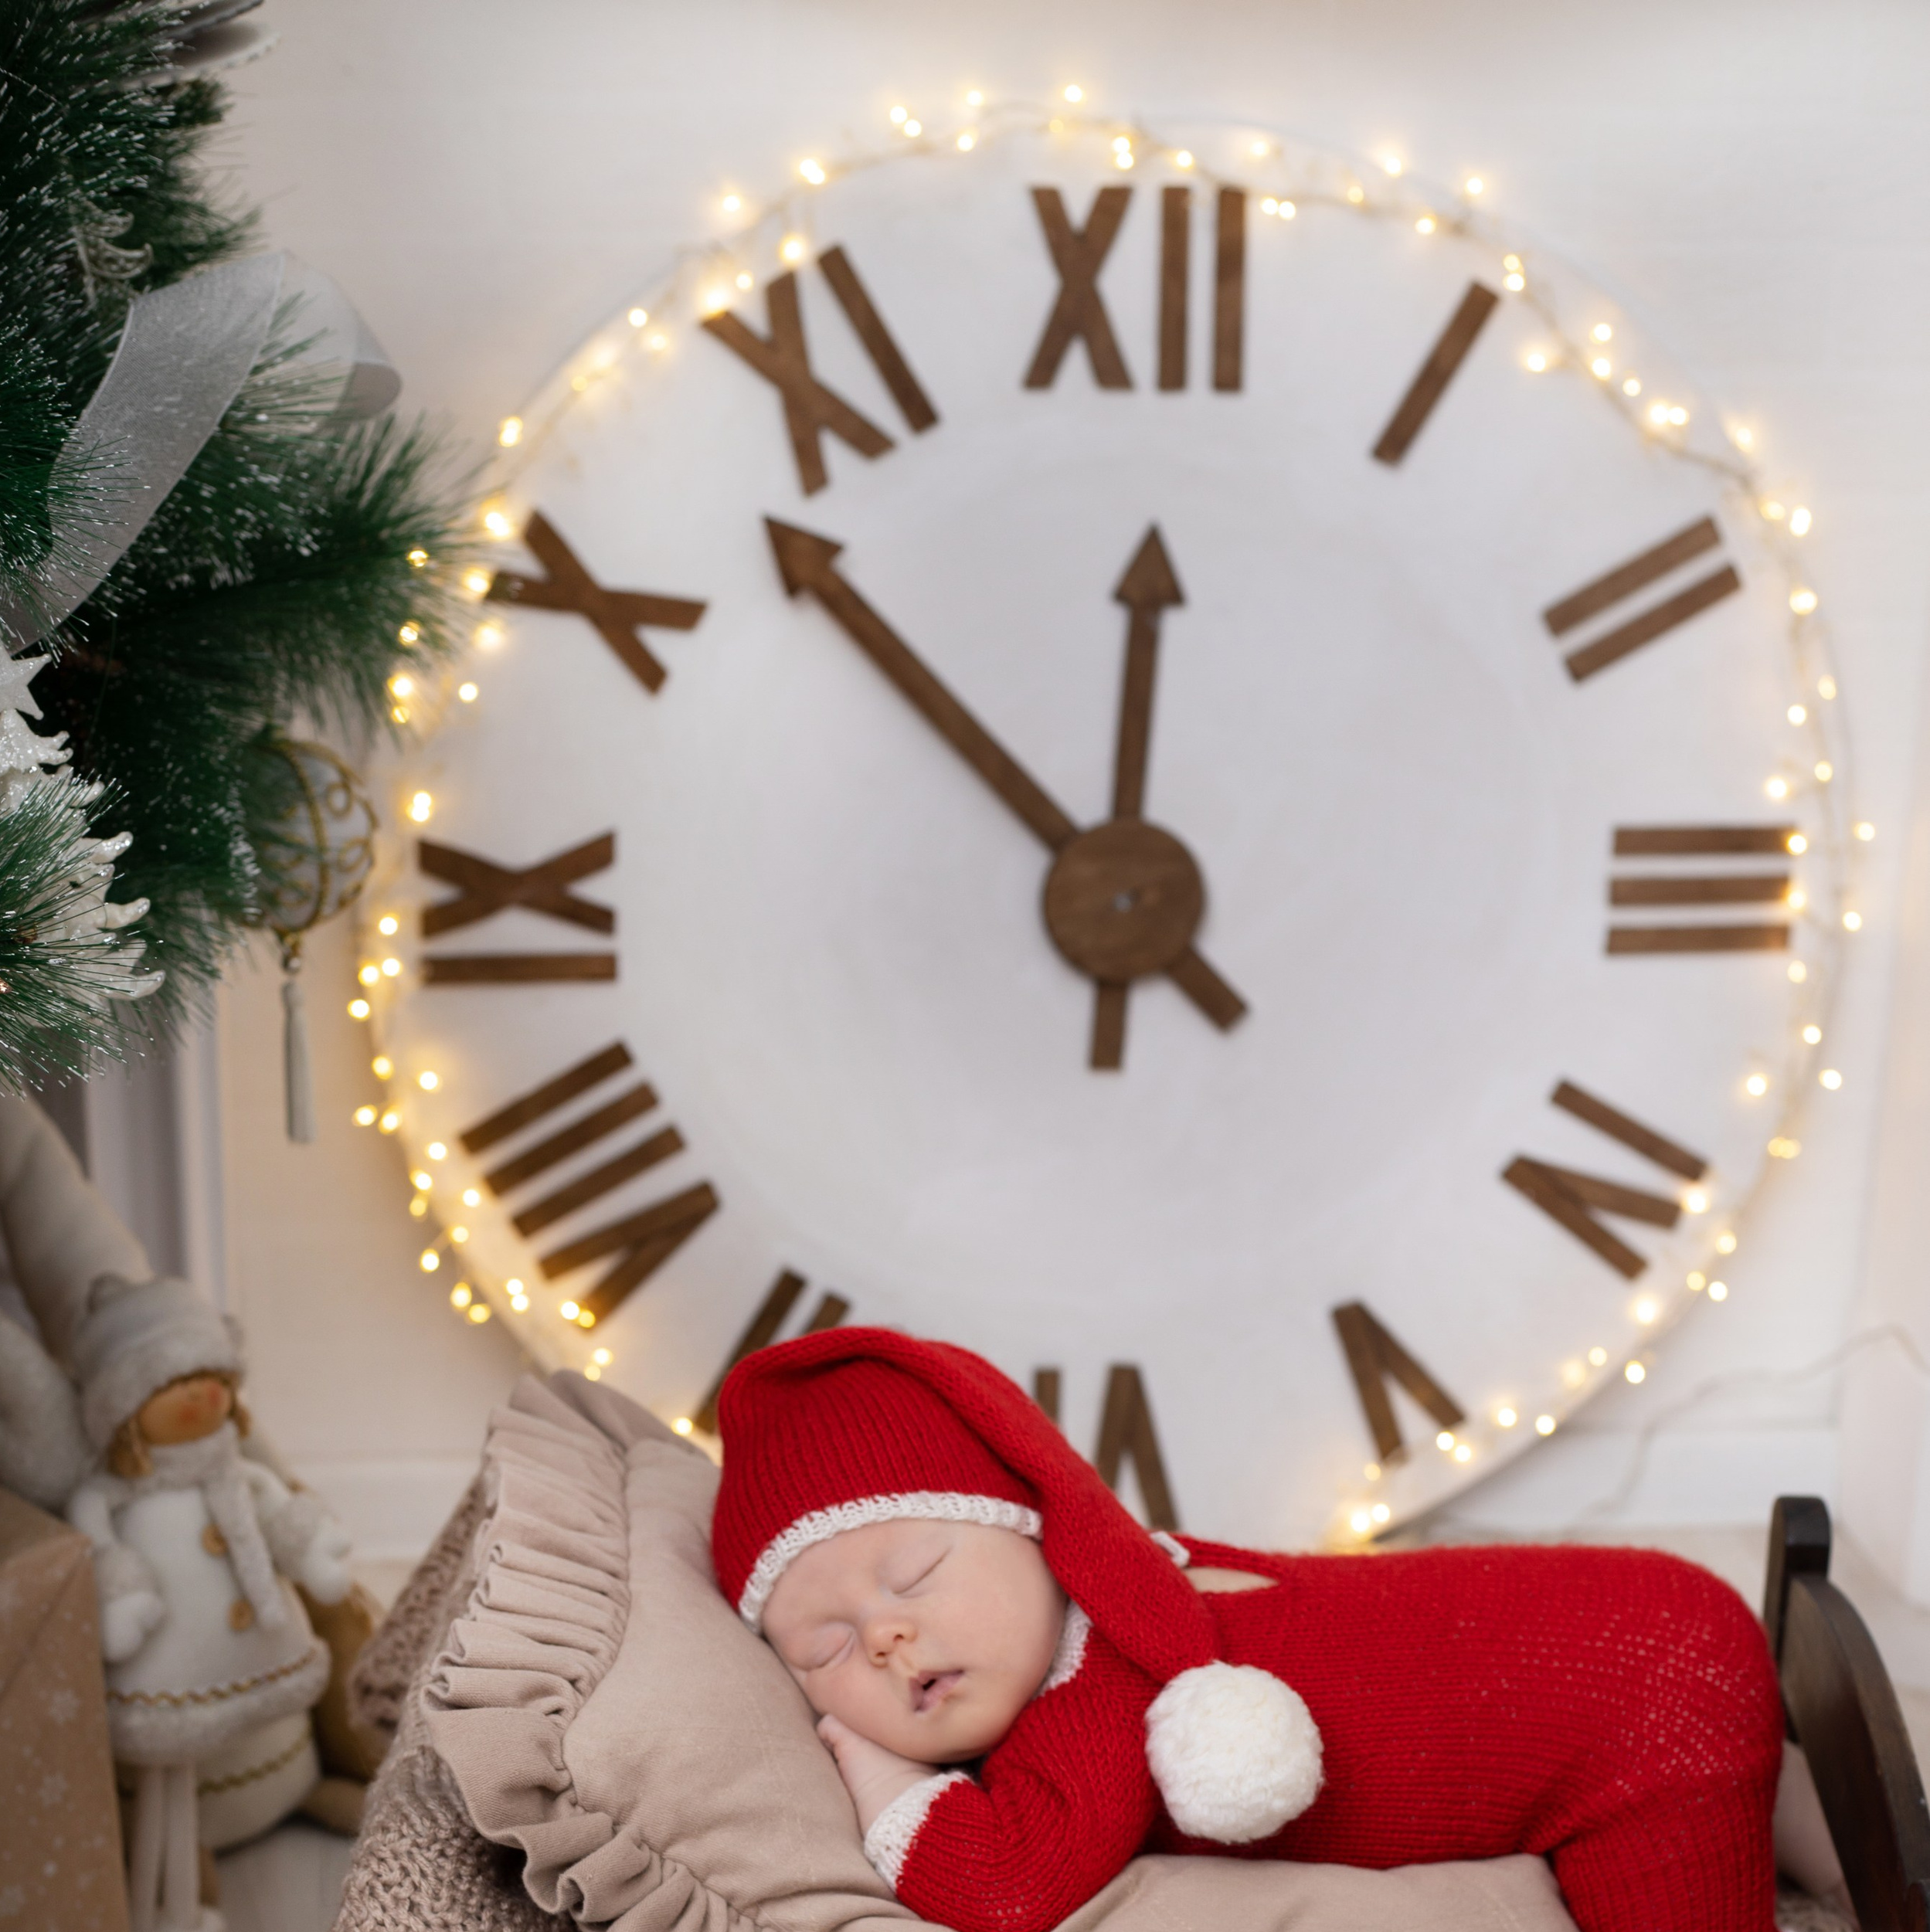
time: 11:52
